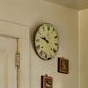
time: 9:47
